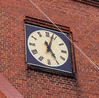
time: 5:03
